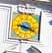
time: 9:18
